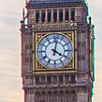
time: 4:02
